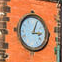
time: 3:04
